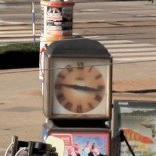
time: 9:16
